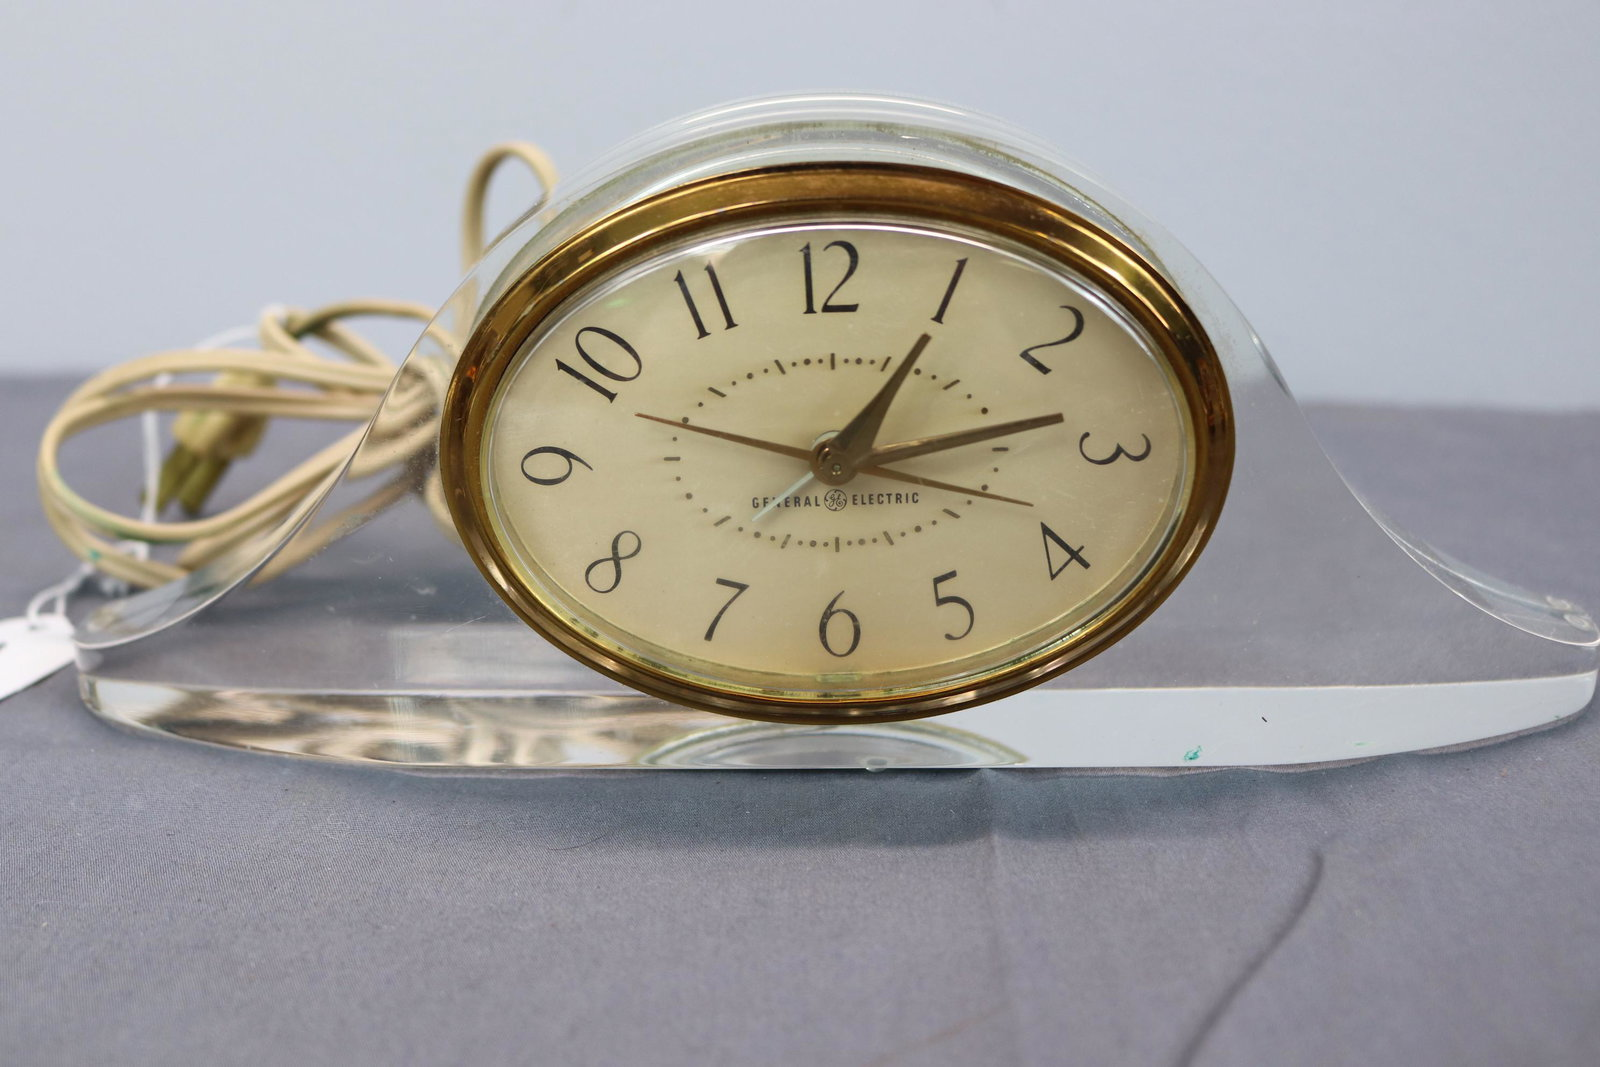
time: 1:12
